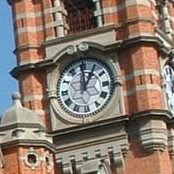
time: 1:00
